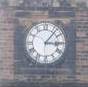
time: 3:06
